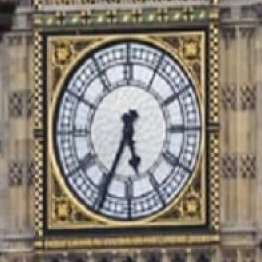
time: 5:34
